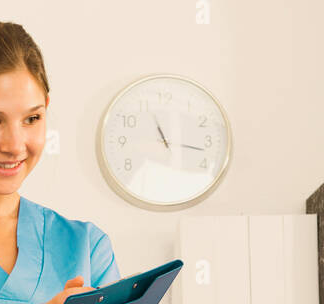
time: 11:16
